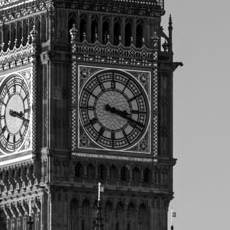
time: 3:18
